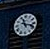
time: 11:17
